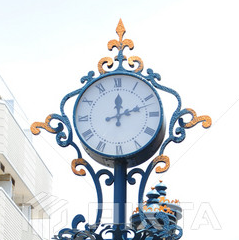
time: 12:11
